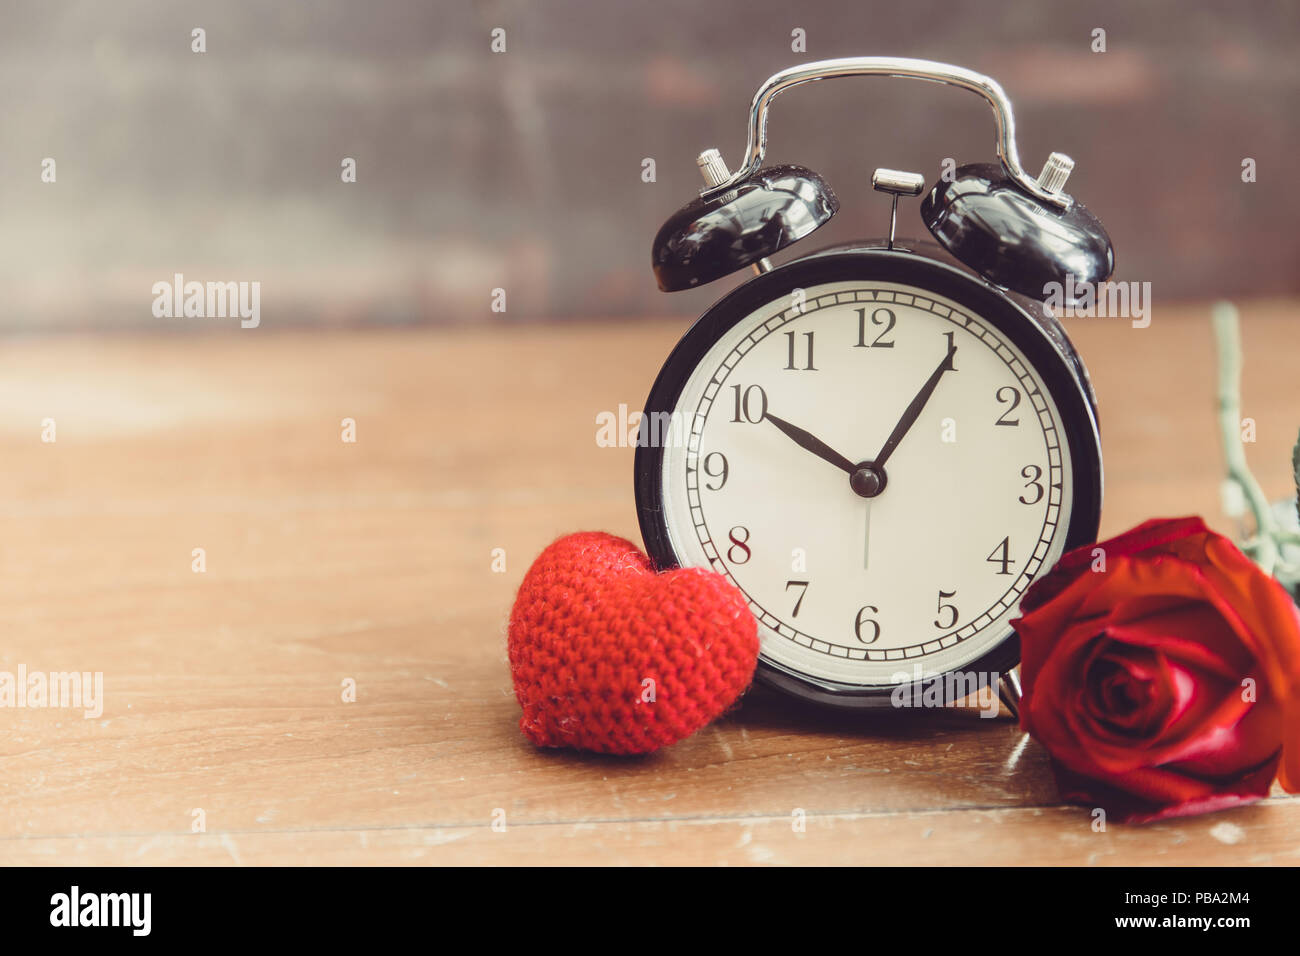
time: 10:05
